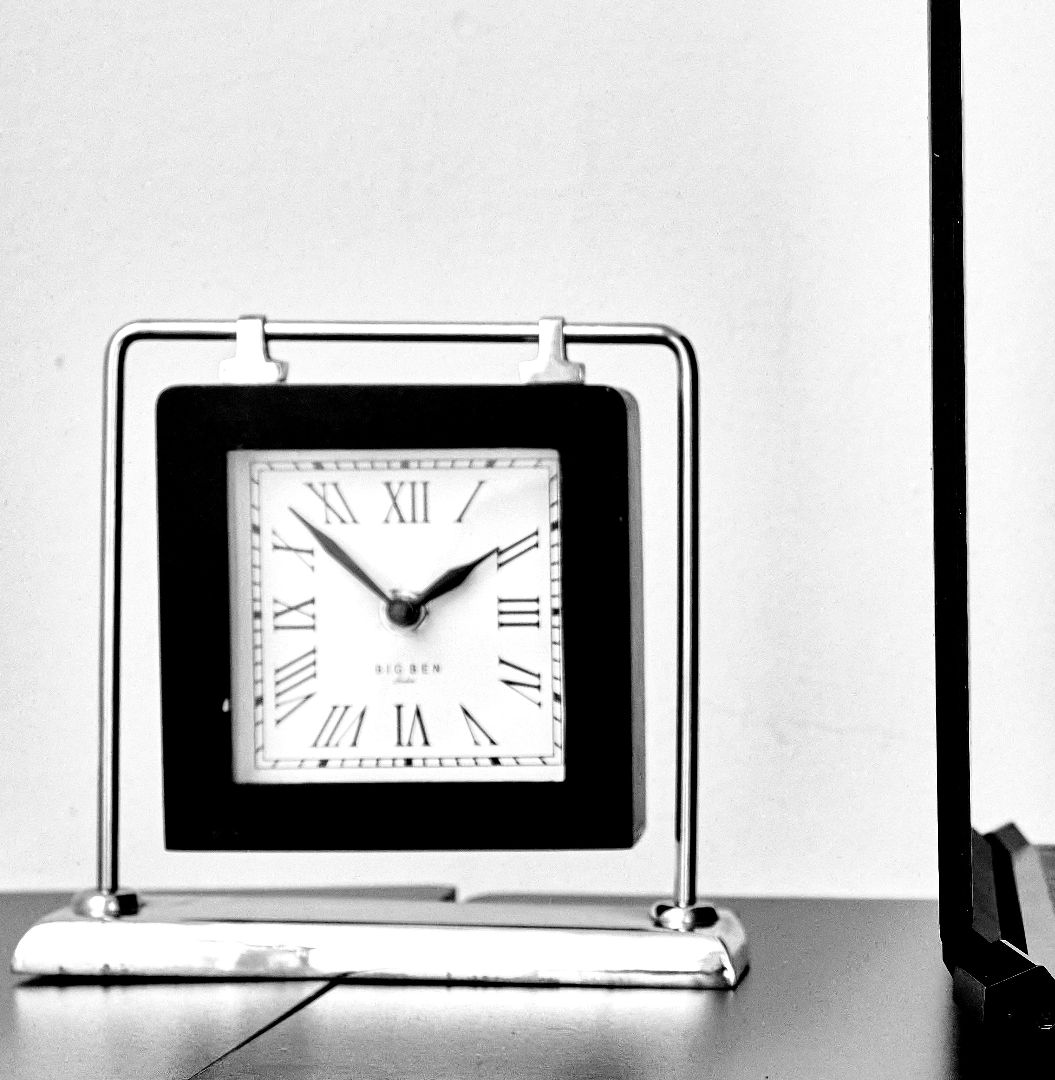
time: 1:52
